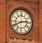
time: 2:40
